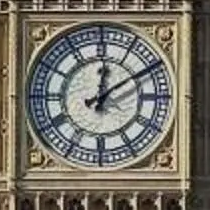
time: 12:09
